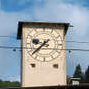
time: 9:38
